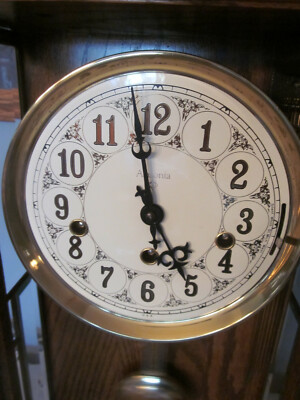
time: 4:59
